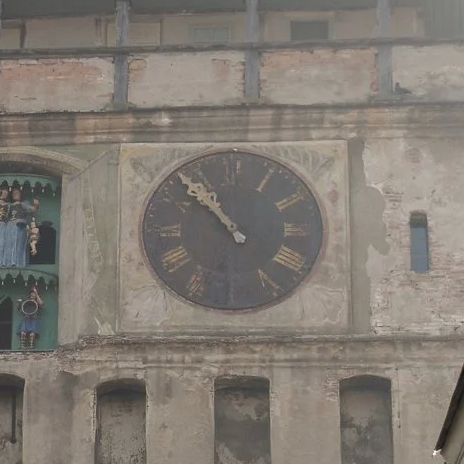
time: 10:53
